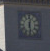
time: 12:28
